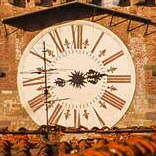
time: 2:42
